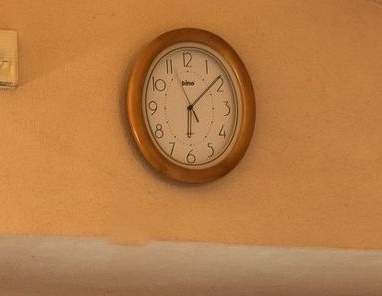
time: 6:08
